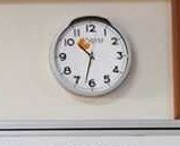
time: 10:32
